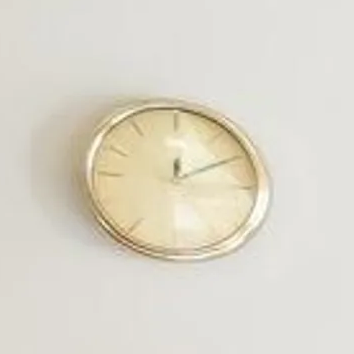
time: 12:10
